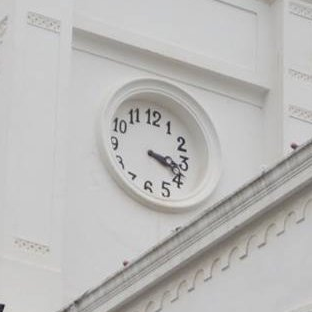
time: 3:18
